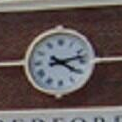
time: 4:12
